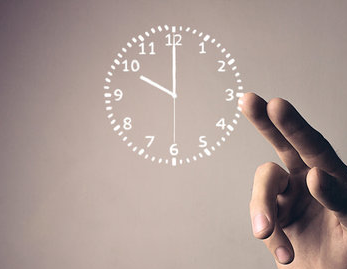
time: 10:00
